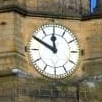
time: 11:50
